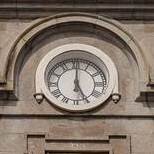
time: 5:00
